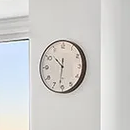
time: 10:31
